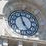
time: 4:57
